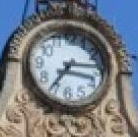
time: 7:15
